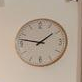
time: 1:47
